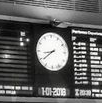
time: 8:38
